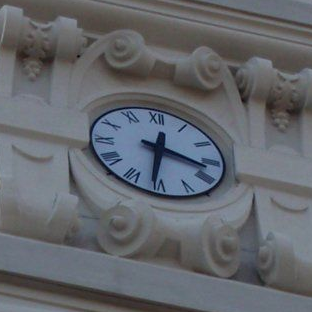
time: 3:31
